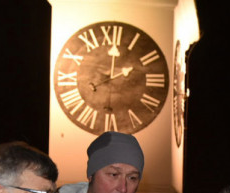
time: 2:01
